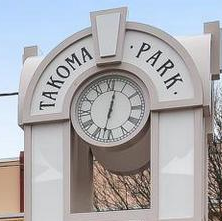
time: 12:32
